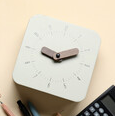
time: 9:10
